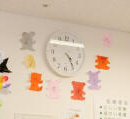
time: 4:24
